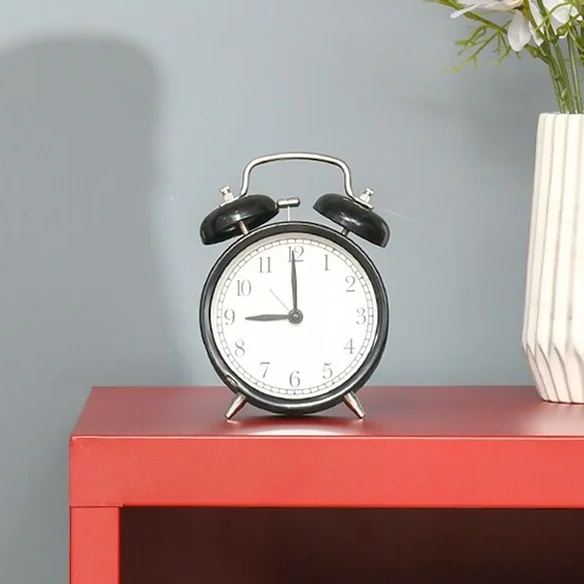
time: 8:59
